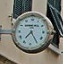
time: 7:24
